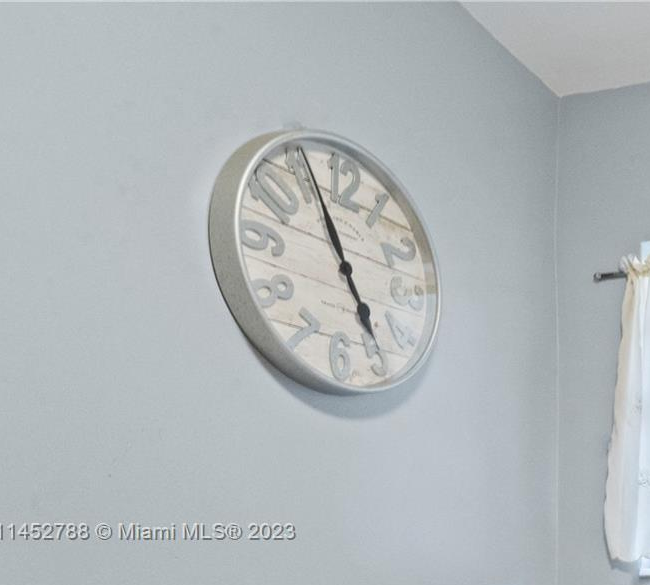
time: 4:56
